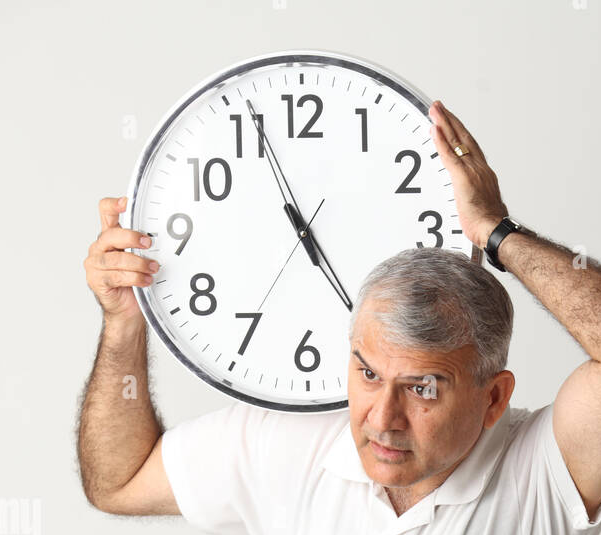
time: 4:56
